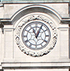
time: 11:04
